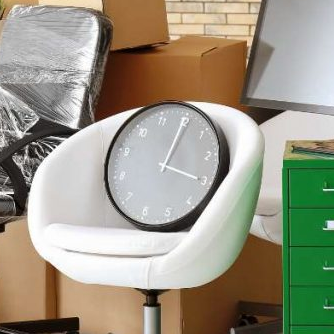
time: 3:00
